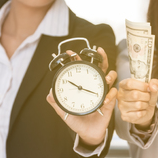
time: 10:19
